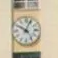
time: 10:03
